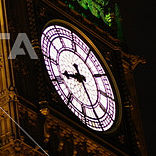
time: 8:25
